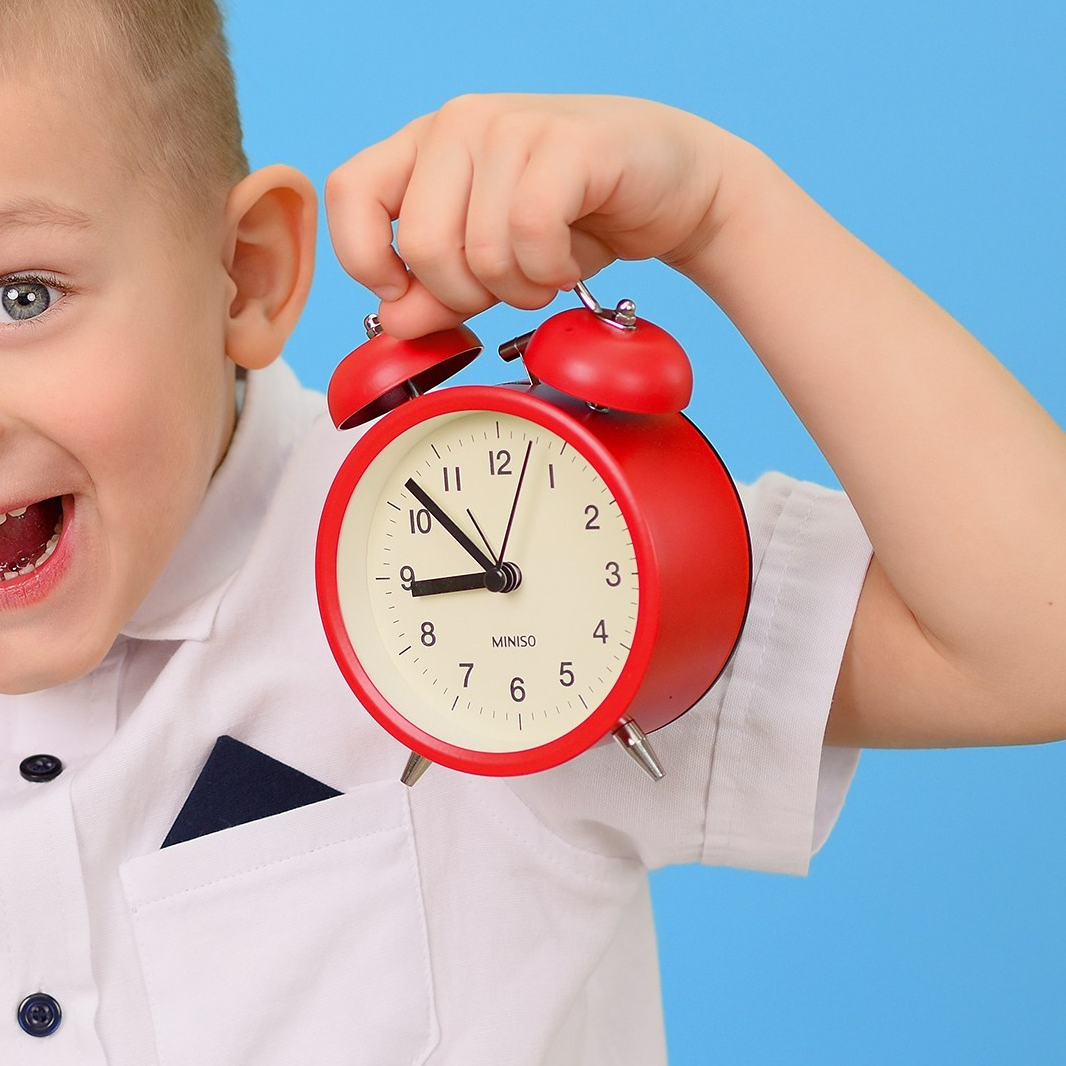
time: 8:52
